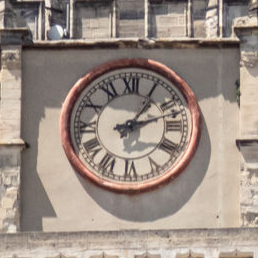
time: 1:12
